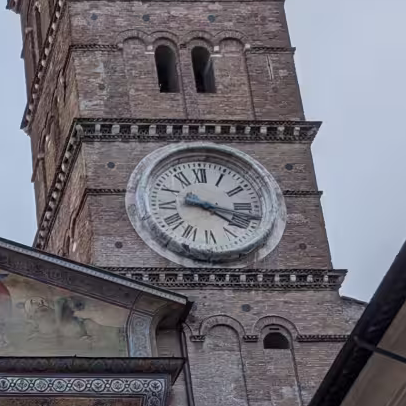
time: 4:17
